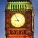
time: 8:56
